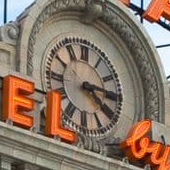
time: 4:14
